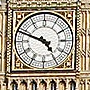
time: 4:48
